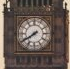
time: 7:40
